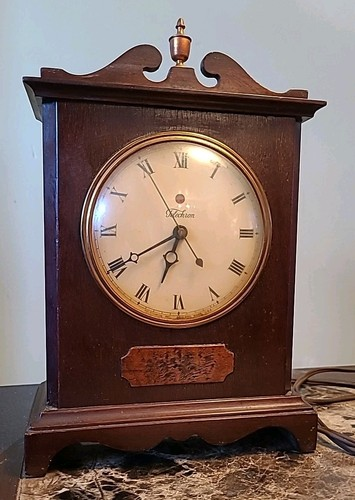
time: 6:40
